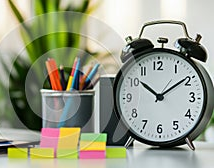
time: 10:09
